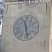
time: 11:28
